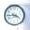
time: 3:43
